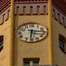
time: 6:15
